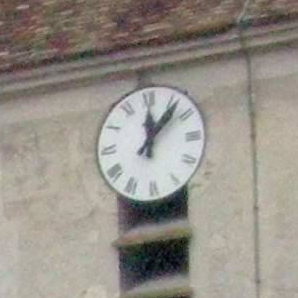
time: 12:07
